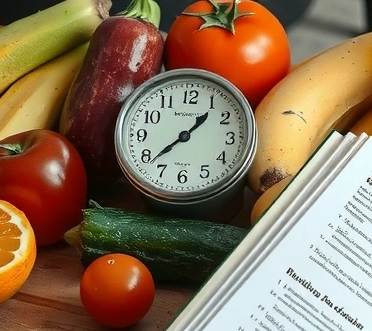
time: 1:38
